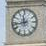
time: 11:43
